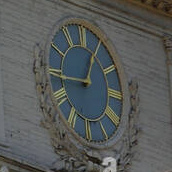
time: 12:44
